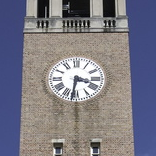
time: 3:31
